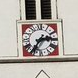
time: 2:35
